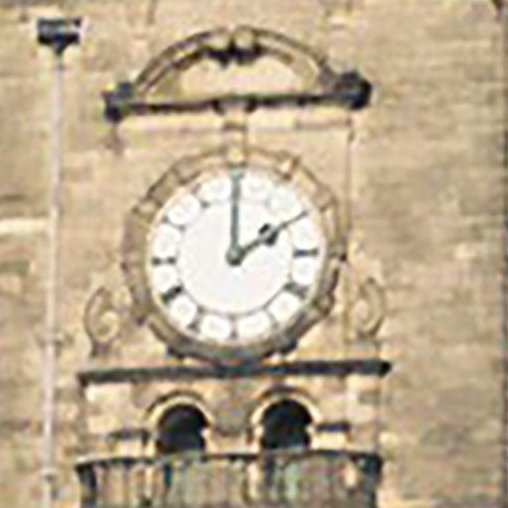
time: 2:00
